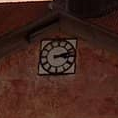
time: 3:12
